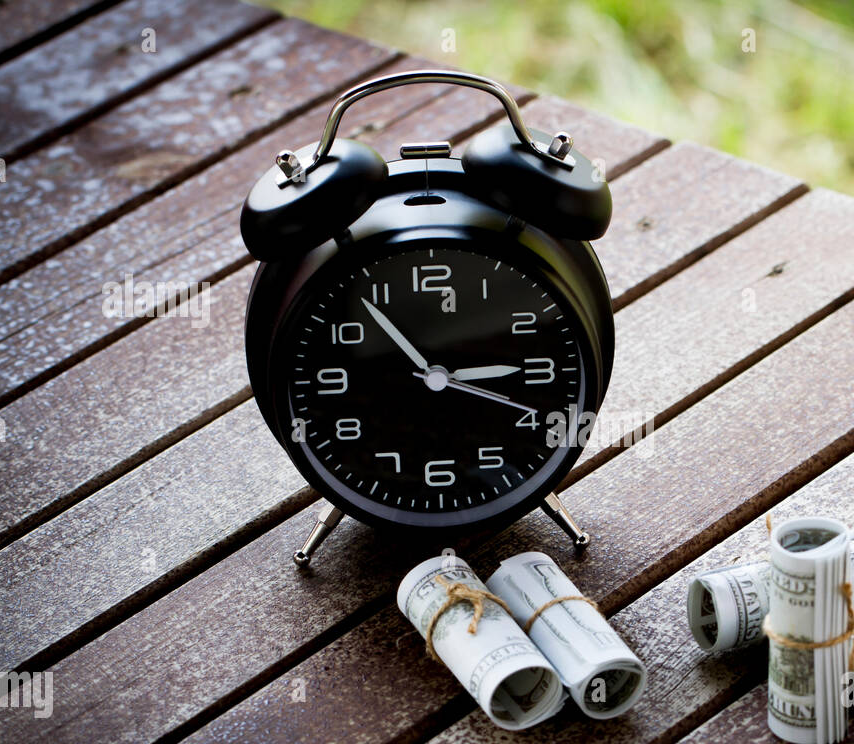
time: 2:53
